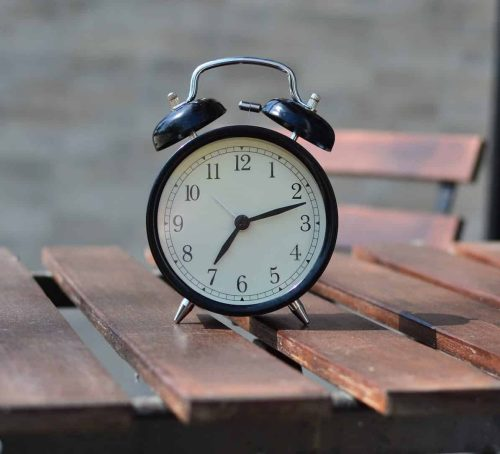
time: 7:12
